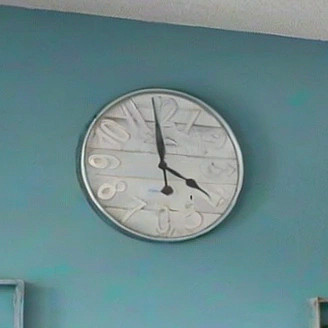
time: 3:58
